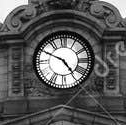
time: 4:49
